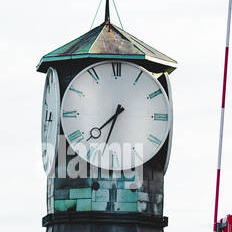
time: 7:33
